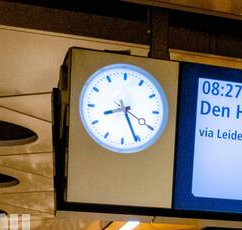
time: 8:25
